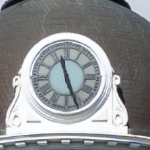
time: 11:26
